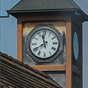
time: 11:40
